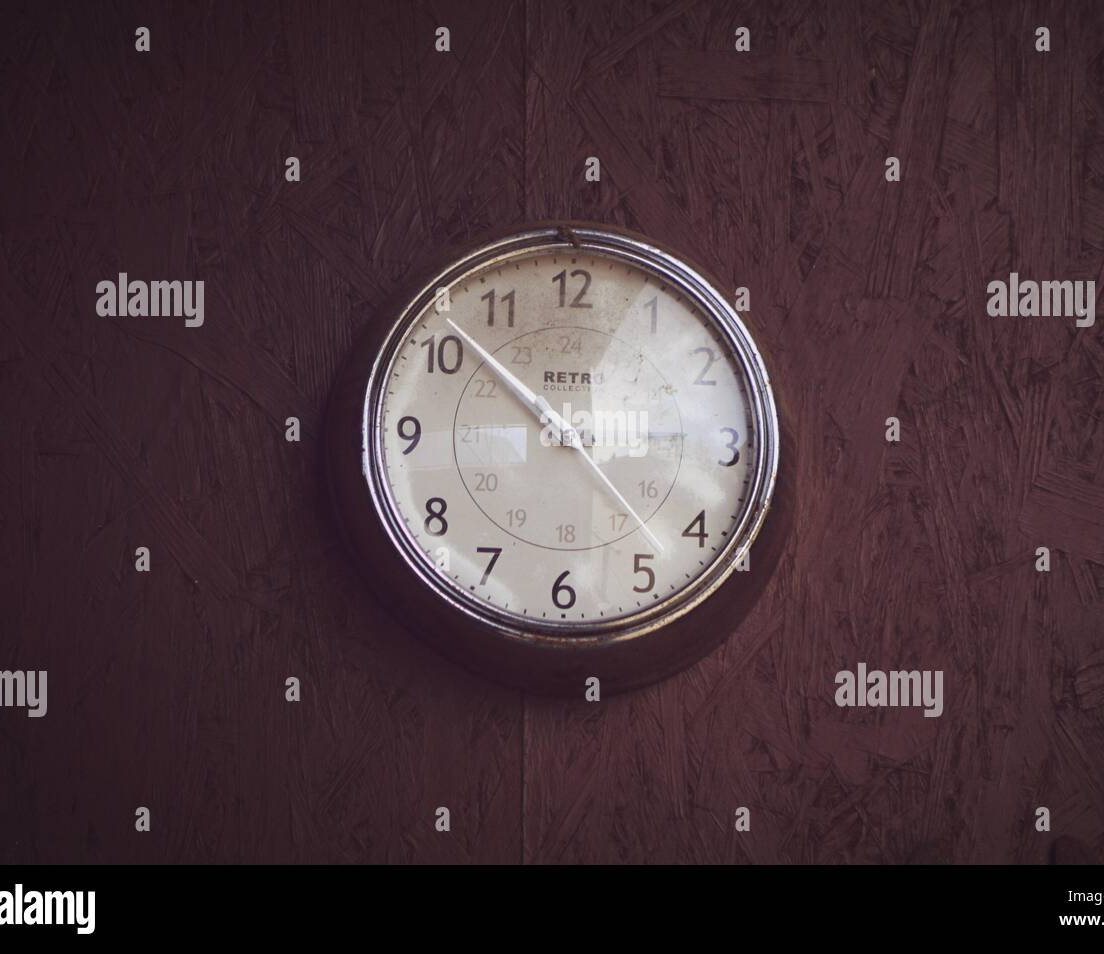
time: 10:22
